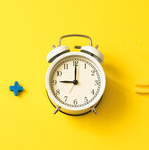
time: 9:00
